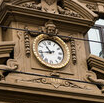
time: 10:42
